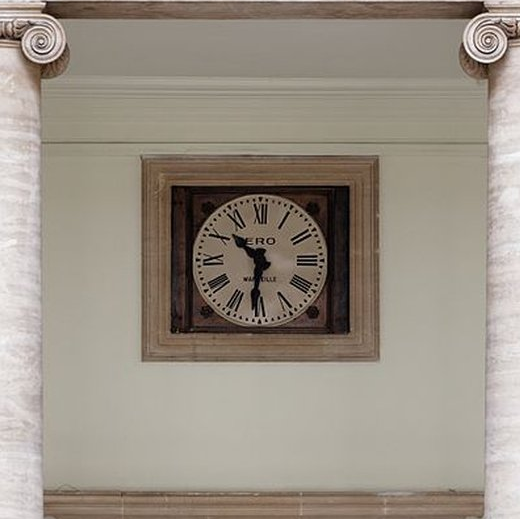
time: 10:31
